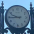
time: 9:44
